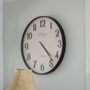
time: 4:23
